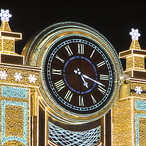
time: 5:18
